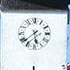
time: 5:38
